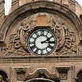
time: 2:15
